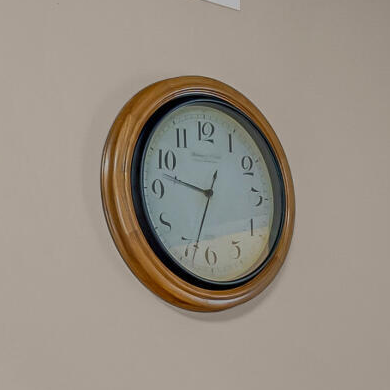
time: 9:33
